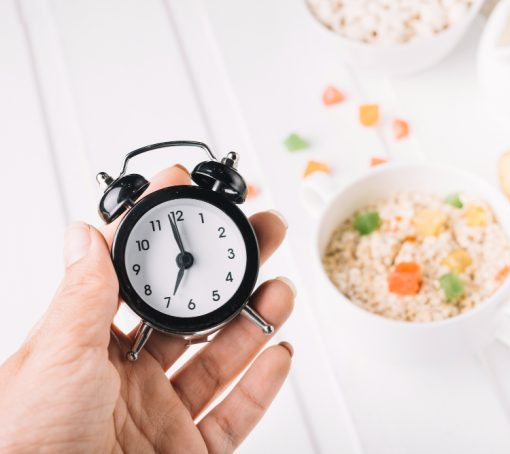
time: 6:58
